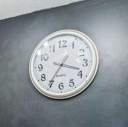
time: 3:35
